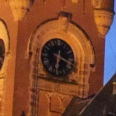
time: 6:18
